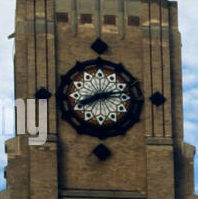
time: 8:12
